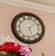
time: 5:08
